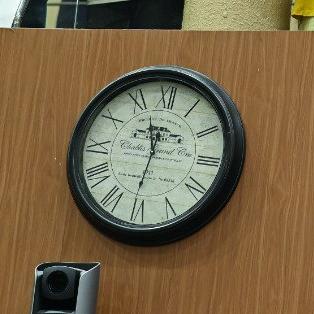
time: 11:30
